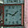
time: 1:47
